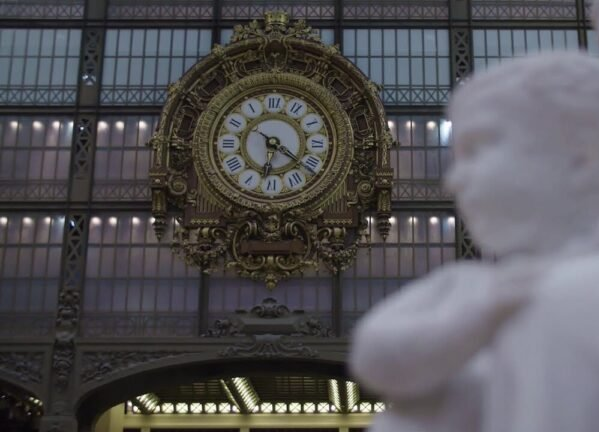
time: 6:21
